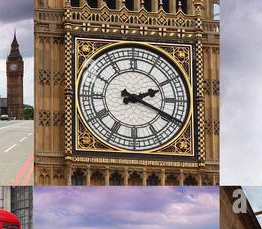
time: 2:19
